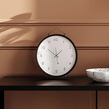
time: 1:50
